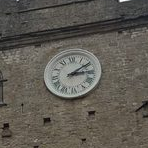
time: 3:09
